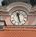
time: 11:27
